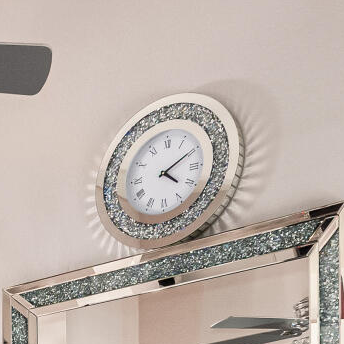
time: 4:09
